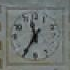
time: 11:35
